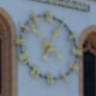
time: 7:04
